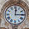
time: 12:14
